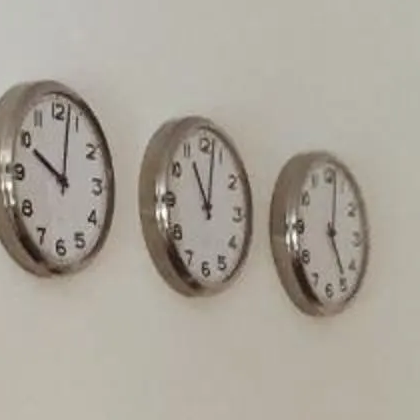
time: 11:02
